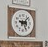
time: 9:07
